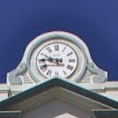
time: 9:45
